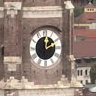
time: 2:01
